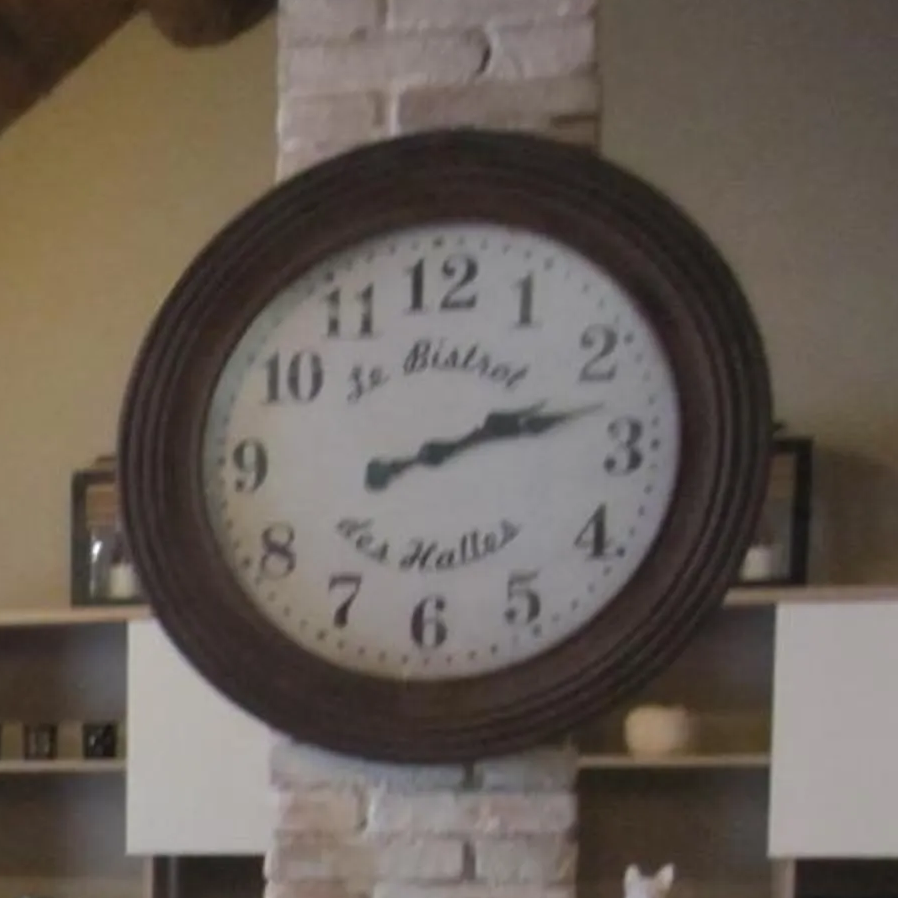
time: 2:12
